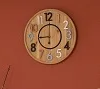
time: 9:00
